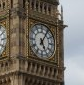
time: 5:05
